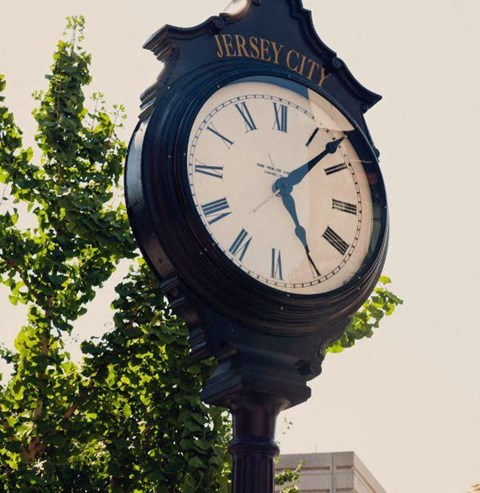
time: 5:07
